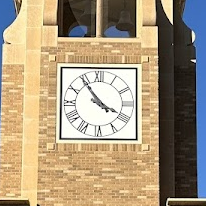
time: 3:54
